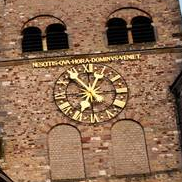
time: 12:52
